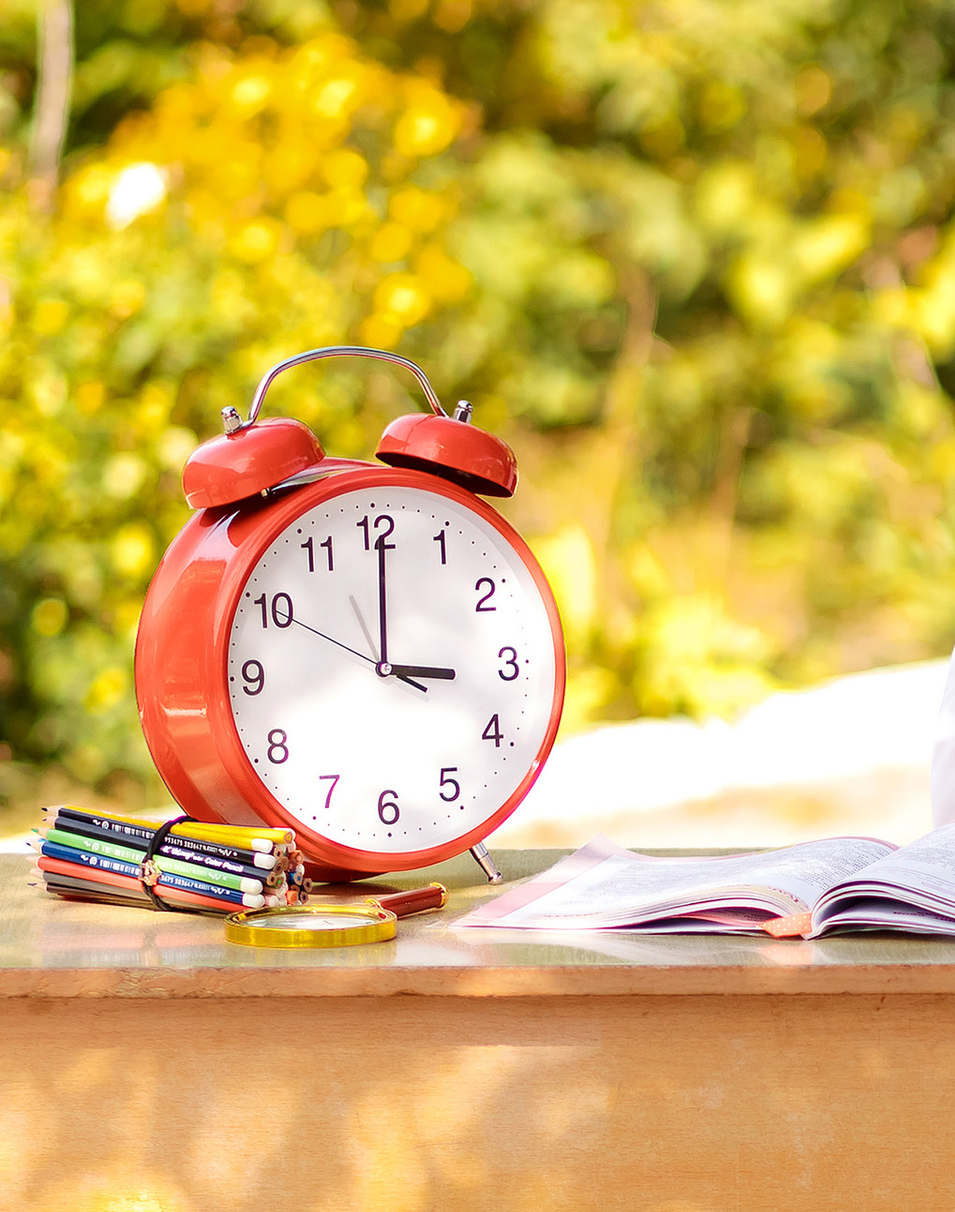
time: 3:00
